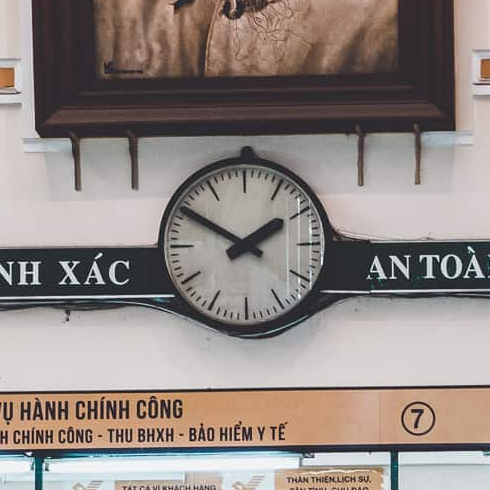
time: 1:50
